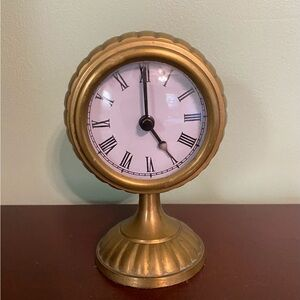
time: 5:00
